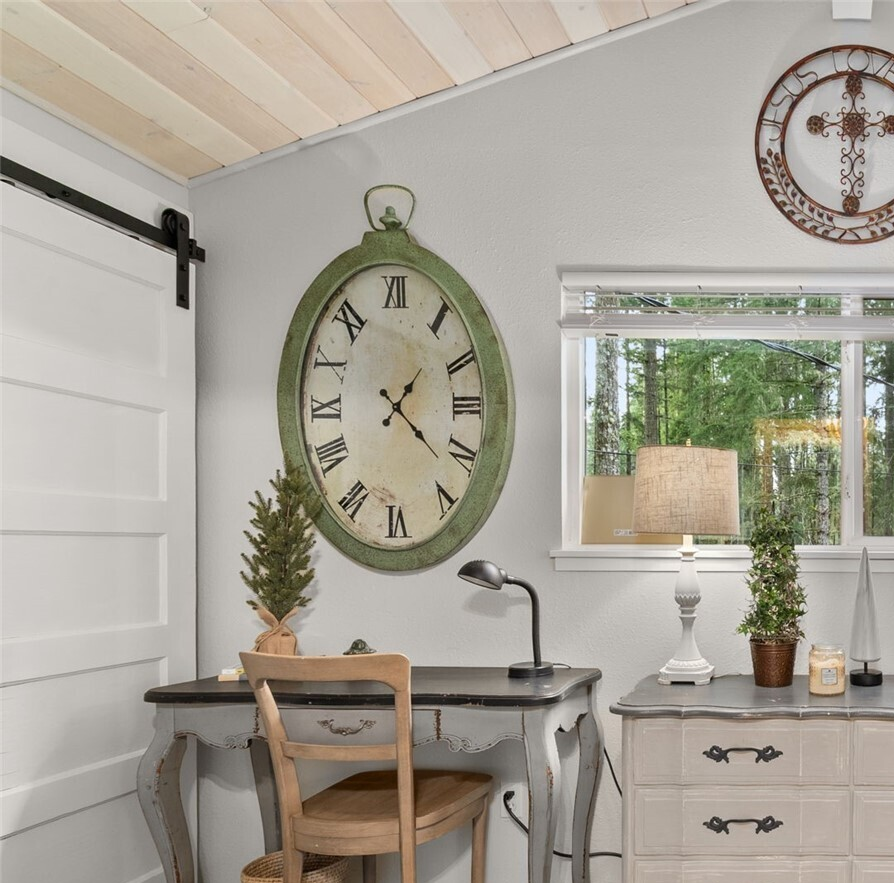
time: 1:21
